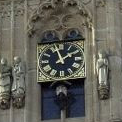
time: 1:57
